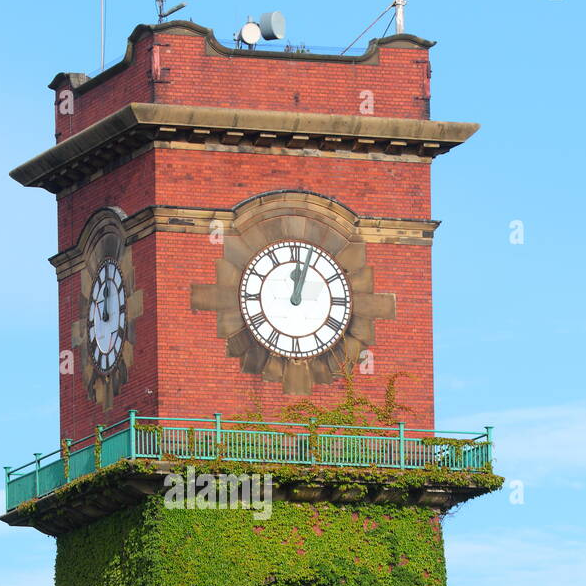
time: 12:03
